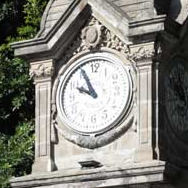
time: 9:55
